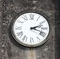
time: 2:18
